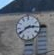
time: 2:40
